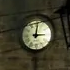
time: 3:01
